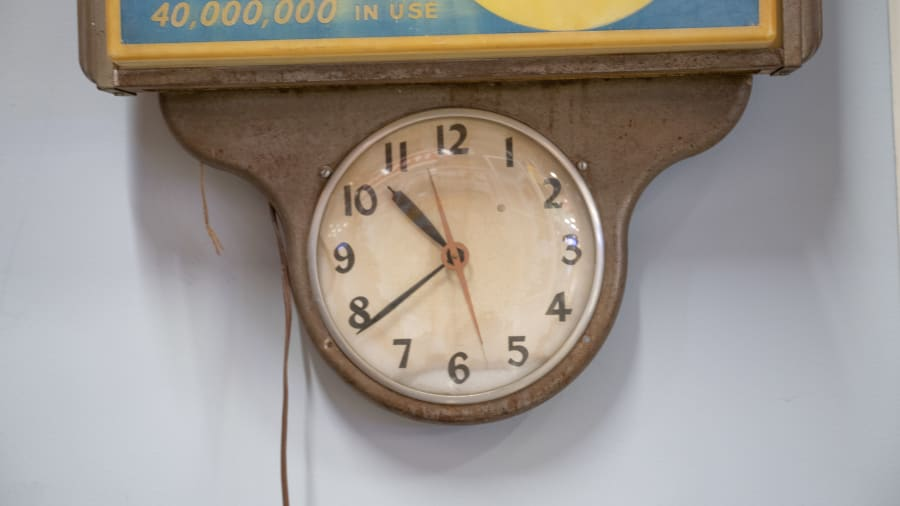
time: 10:38
